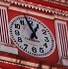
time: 12:57
